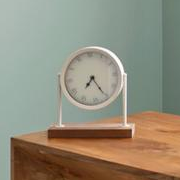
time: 7:25
